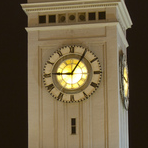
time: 9:05
